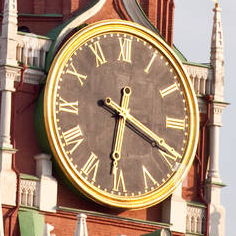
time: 6:19
